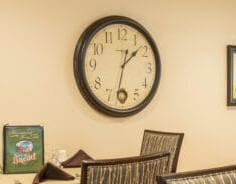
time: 1:32
